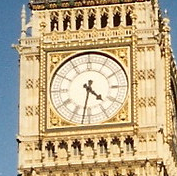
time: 4:31
